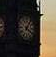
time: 4:04
